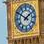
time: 1:50
